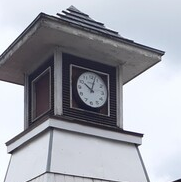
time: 10:02
